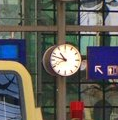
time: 10:47
